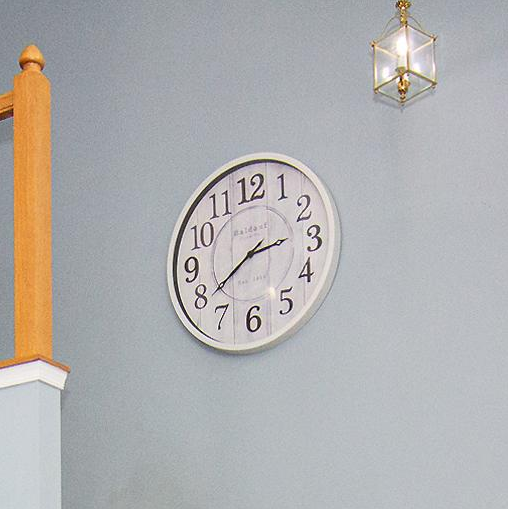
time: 2:39
